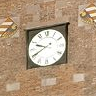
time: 9:40
